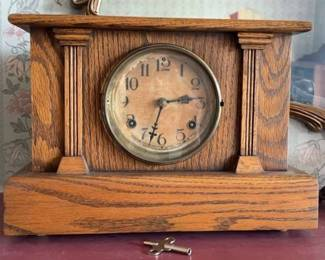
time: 2:33
